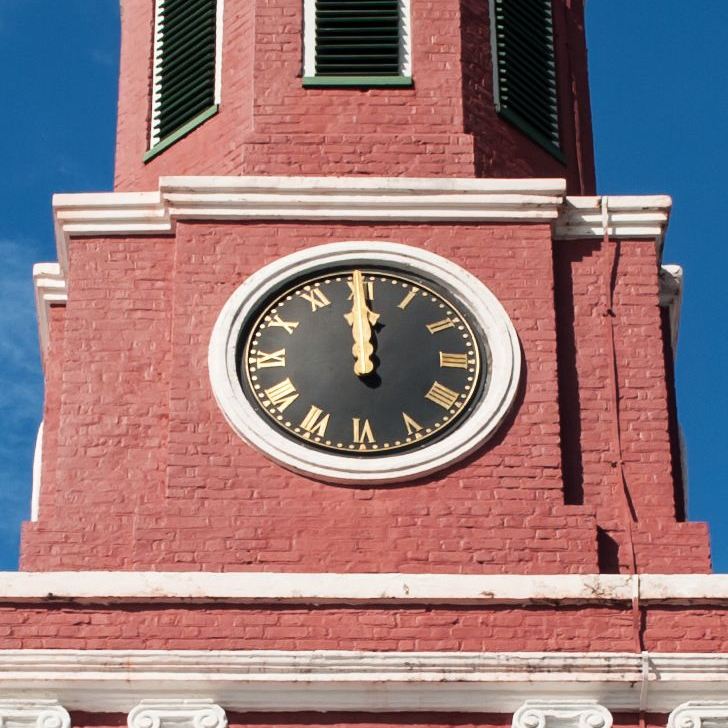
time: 11:59
